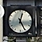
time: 12:25
